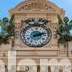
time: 2:12
